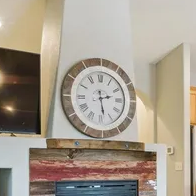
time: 2:28
